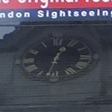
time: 12:32
